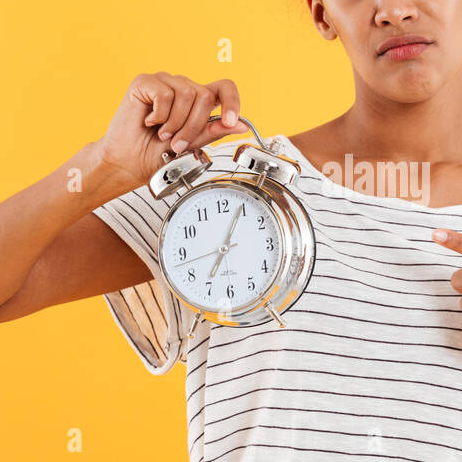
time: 7:04
